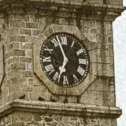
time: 6:57
